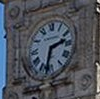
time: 2:32
